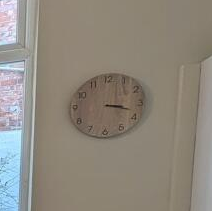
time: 3:17
